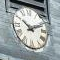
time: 10:10
